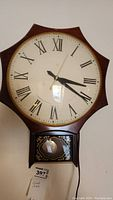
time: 3:20
